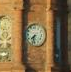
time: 7:32
